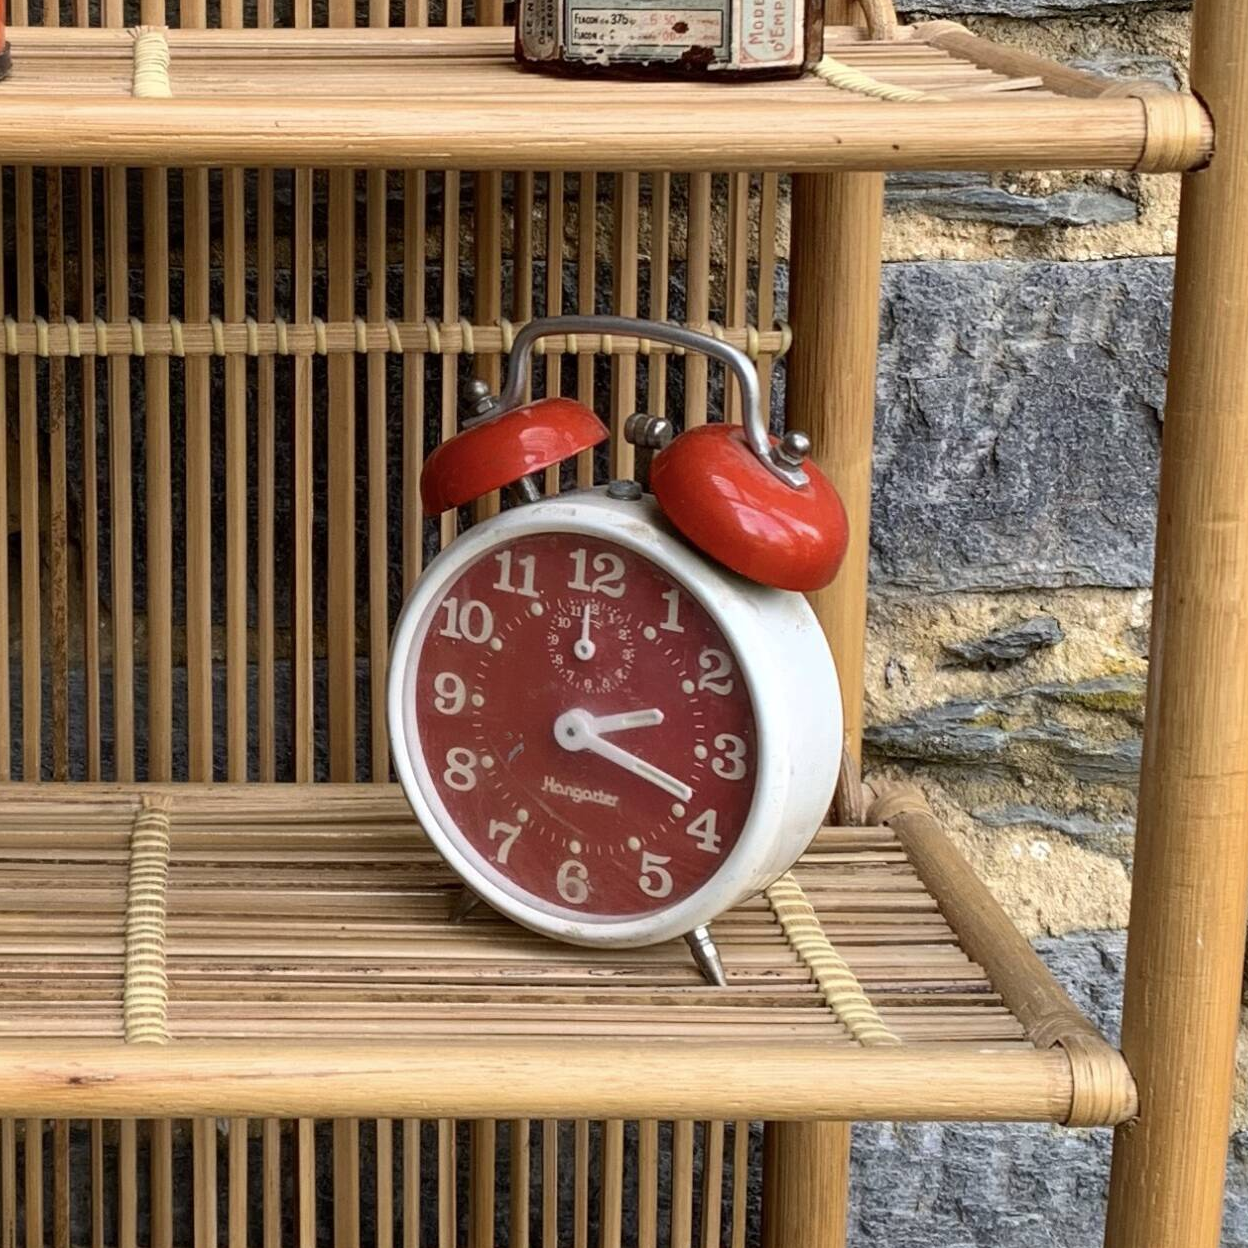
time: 2:18
